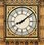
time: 8:08
